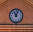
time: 11:04
